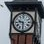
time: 9:31
